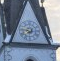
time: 7:45
